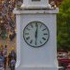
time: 6:01
